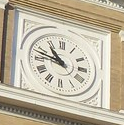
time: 10:47
